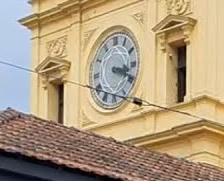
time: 3:18
